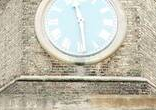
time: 11:28
